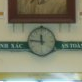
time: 11:46
